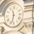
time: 11:32
